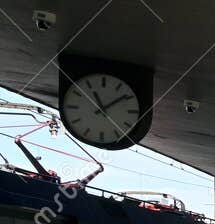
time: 11:08
